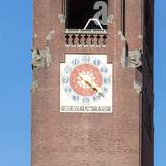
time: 4:21
